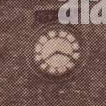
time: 3:39
